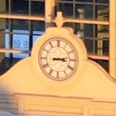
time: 3:12
